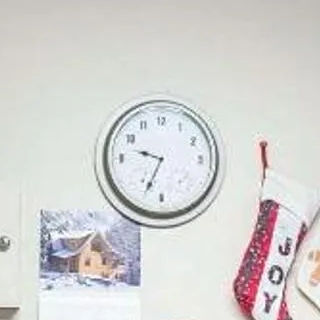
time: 9:34
